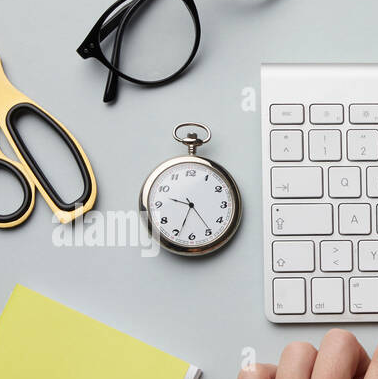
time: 9:33
